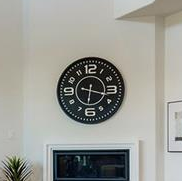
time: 6:17
